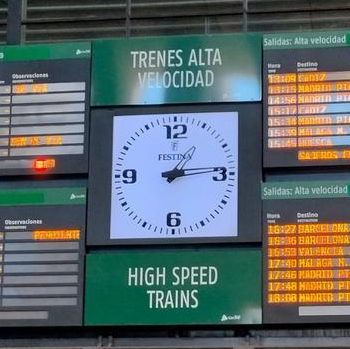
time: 1:13
